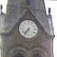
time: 7:36
